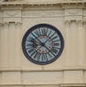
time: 9:07
